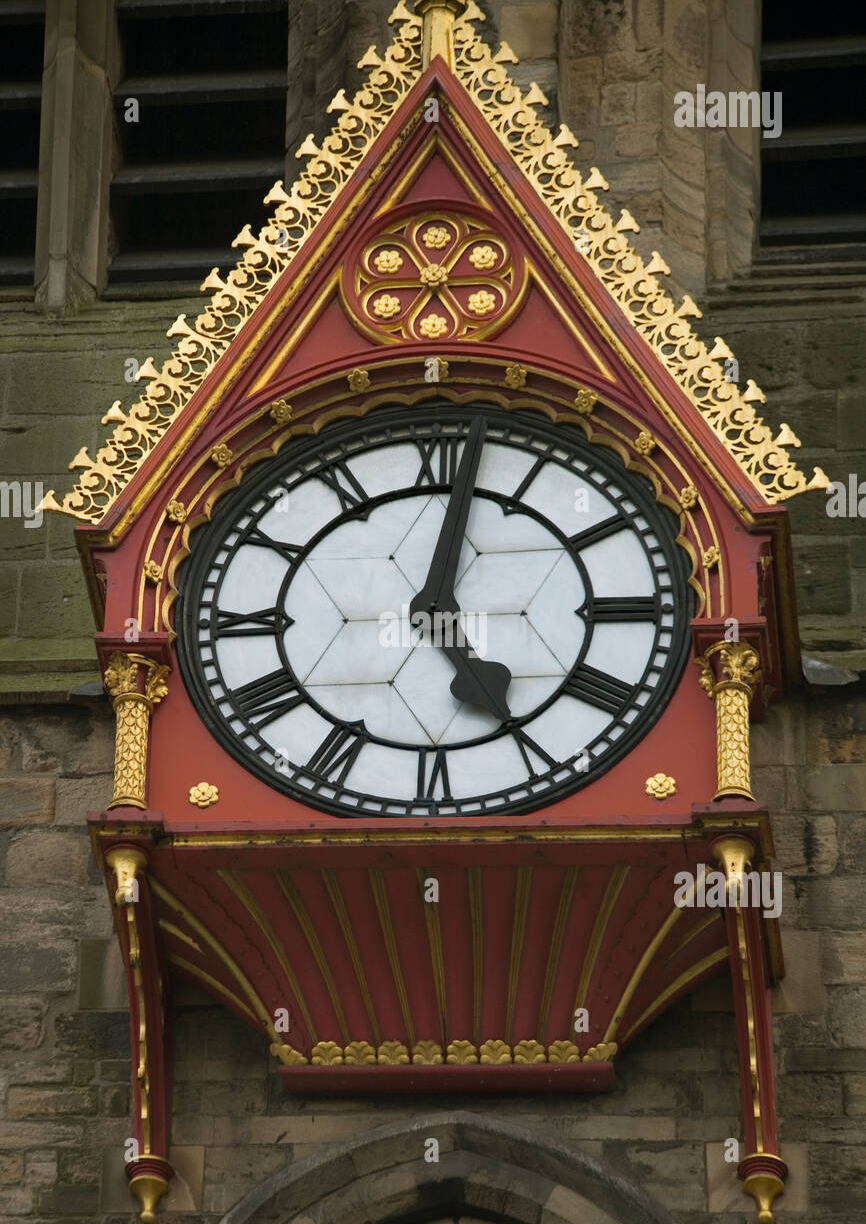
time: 5:01
